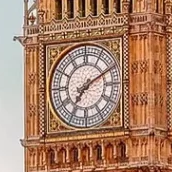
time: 7:10
